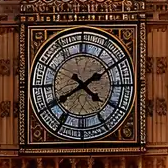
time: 4:09
